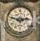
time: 2:47
